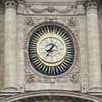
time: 7:34
